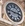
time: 2:46
